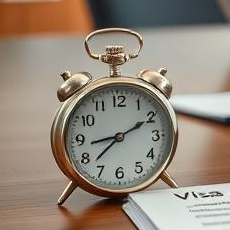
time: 8:37
